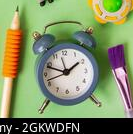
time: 1:48
